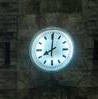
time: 8:00
